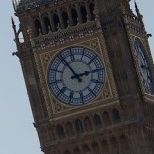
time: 2:56
